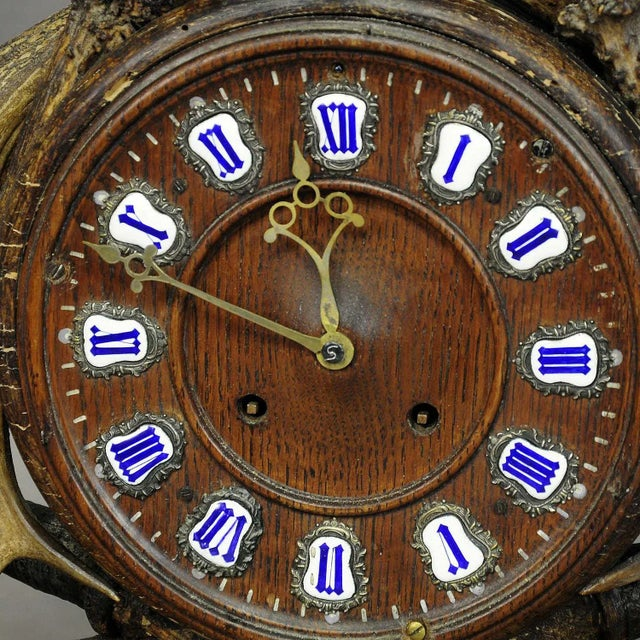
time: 11:48
